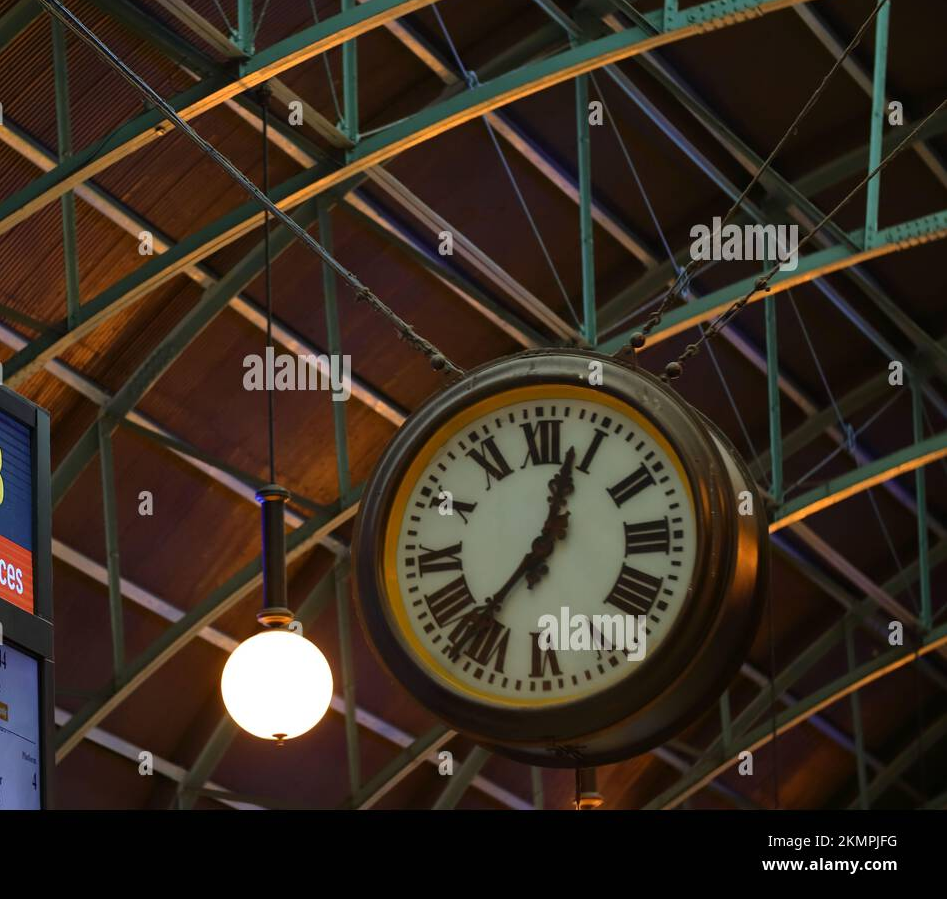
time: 12:37
